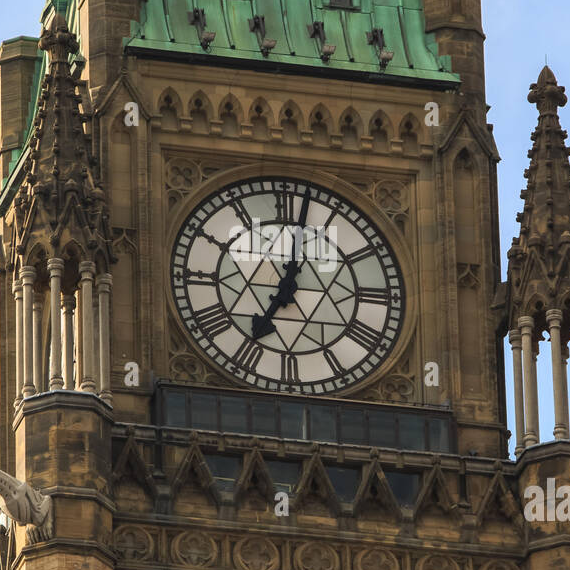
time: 7:01
